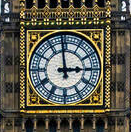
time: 2:58
